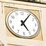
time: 5:05
